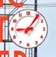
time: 9:06
